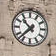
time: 10:37
